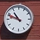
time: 10:48
